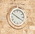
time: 3:50
